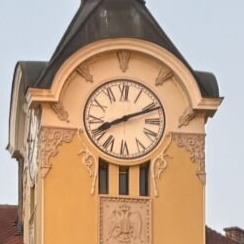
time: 8:11
